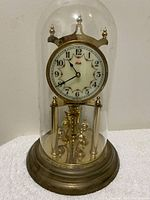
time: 10:41
